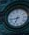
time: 6:43
